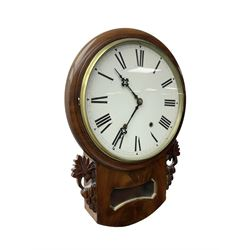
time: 10:35
